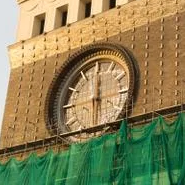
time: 5:59
